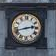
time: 2:42
